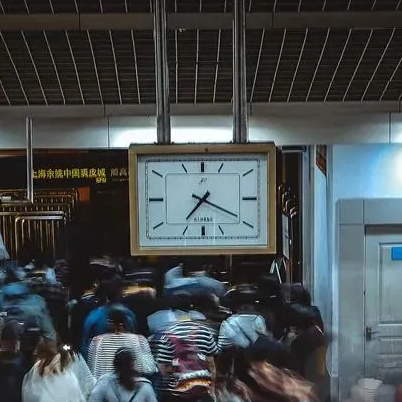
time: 7:19
